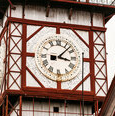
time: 3:07
